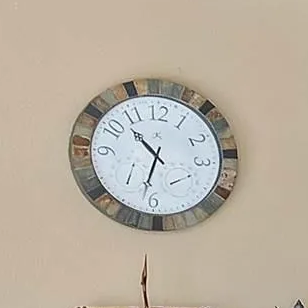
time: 10:32
